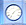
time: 7:08
